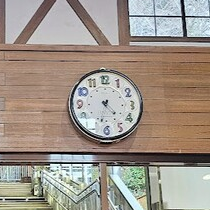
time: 4:32
